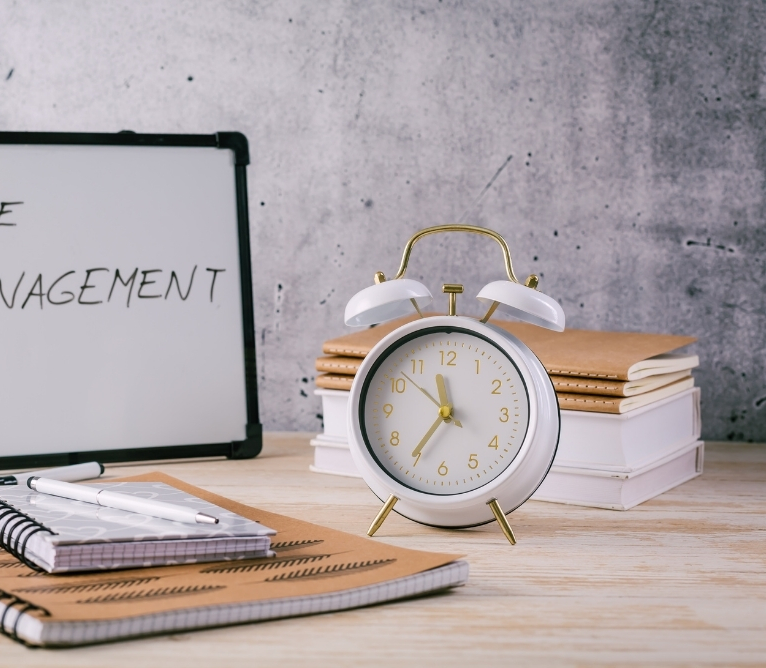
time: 11:35
